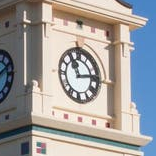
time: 11:13
